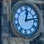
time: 12:12
